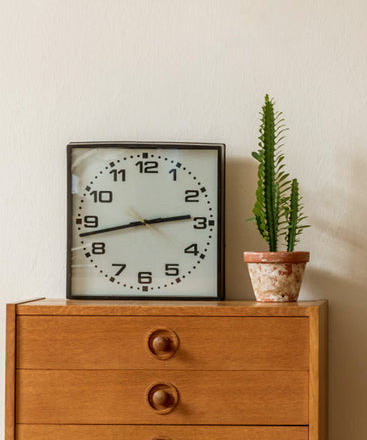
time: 2:42
